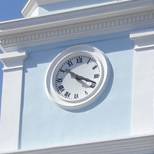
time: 10:18
